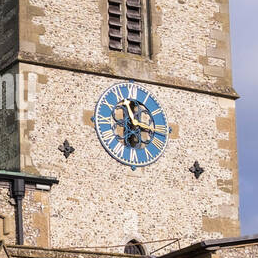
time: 11:16
